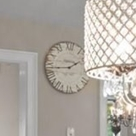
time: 1:43
